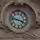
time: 3:47
